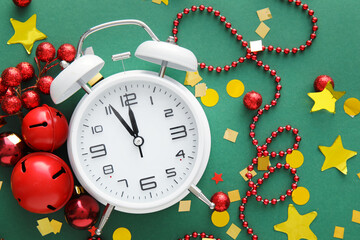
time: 11:55
